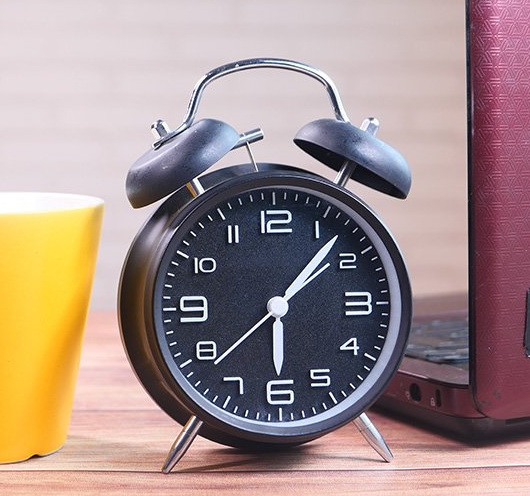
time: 6:07
